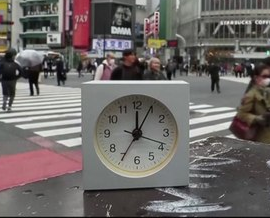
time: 12:04
